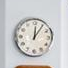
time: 12:05
